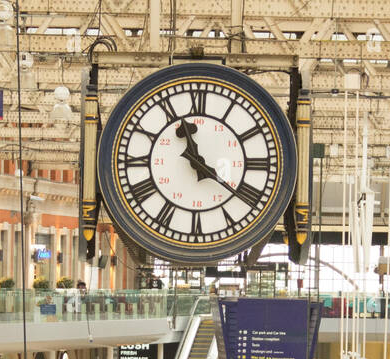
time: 11:21
